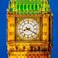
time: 8:20
